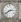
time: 2:39
